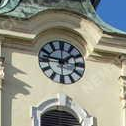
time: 1:46
